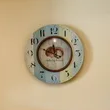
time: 11:48
